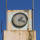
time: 1:18
